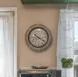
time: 10:20
